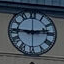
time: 2:45
